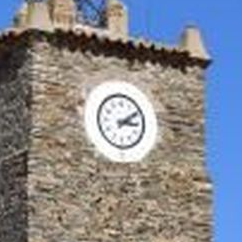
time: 3:09
